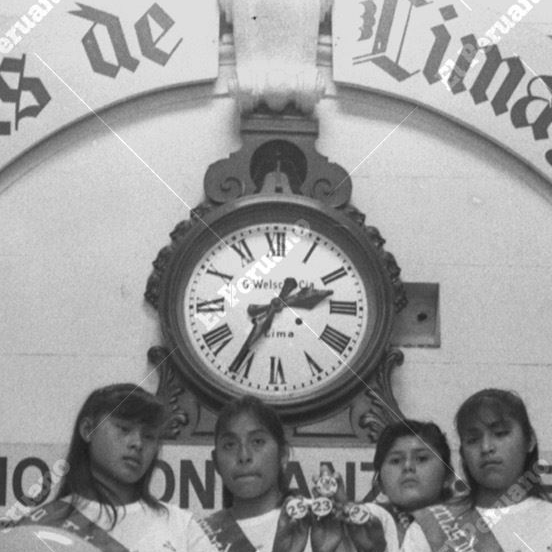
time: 2:35
